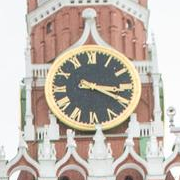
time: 3:19
